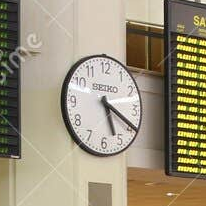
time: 5:19
